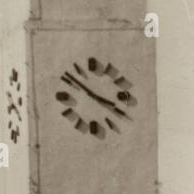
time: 3:51
